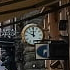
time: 10:00
